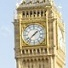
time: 1:37
